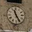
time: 11:25
